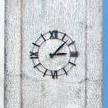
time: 3:07
